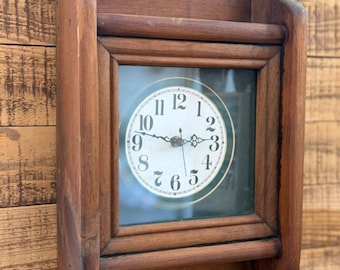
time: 2:46
